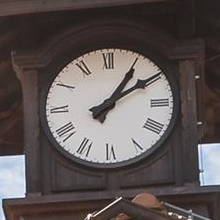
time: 1:09
